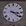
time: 3:21
